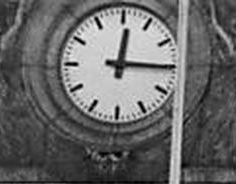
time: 12:15
